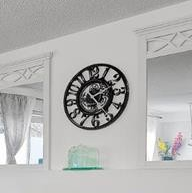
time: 2:24
